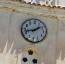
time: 1:42
